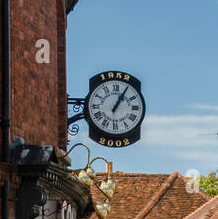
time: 1:05
